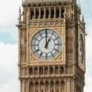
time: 1:00
